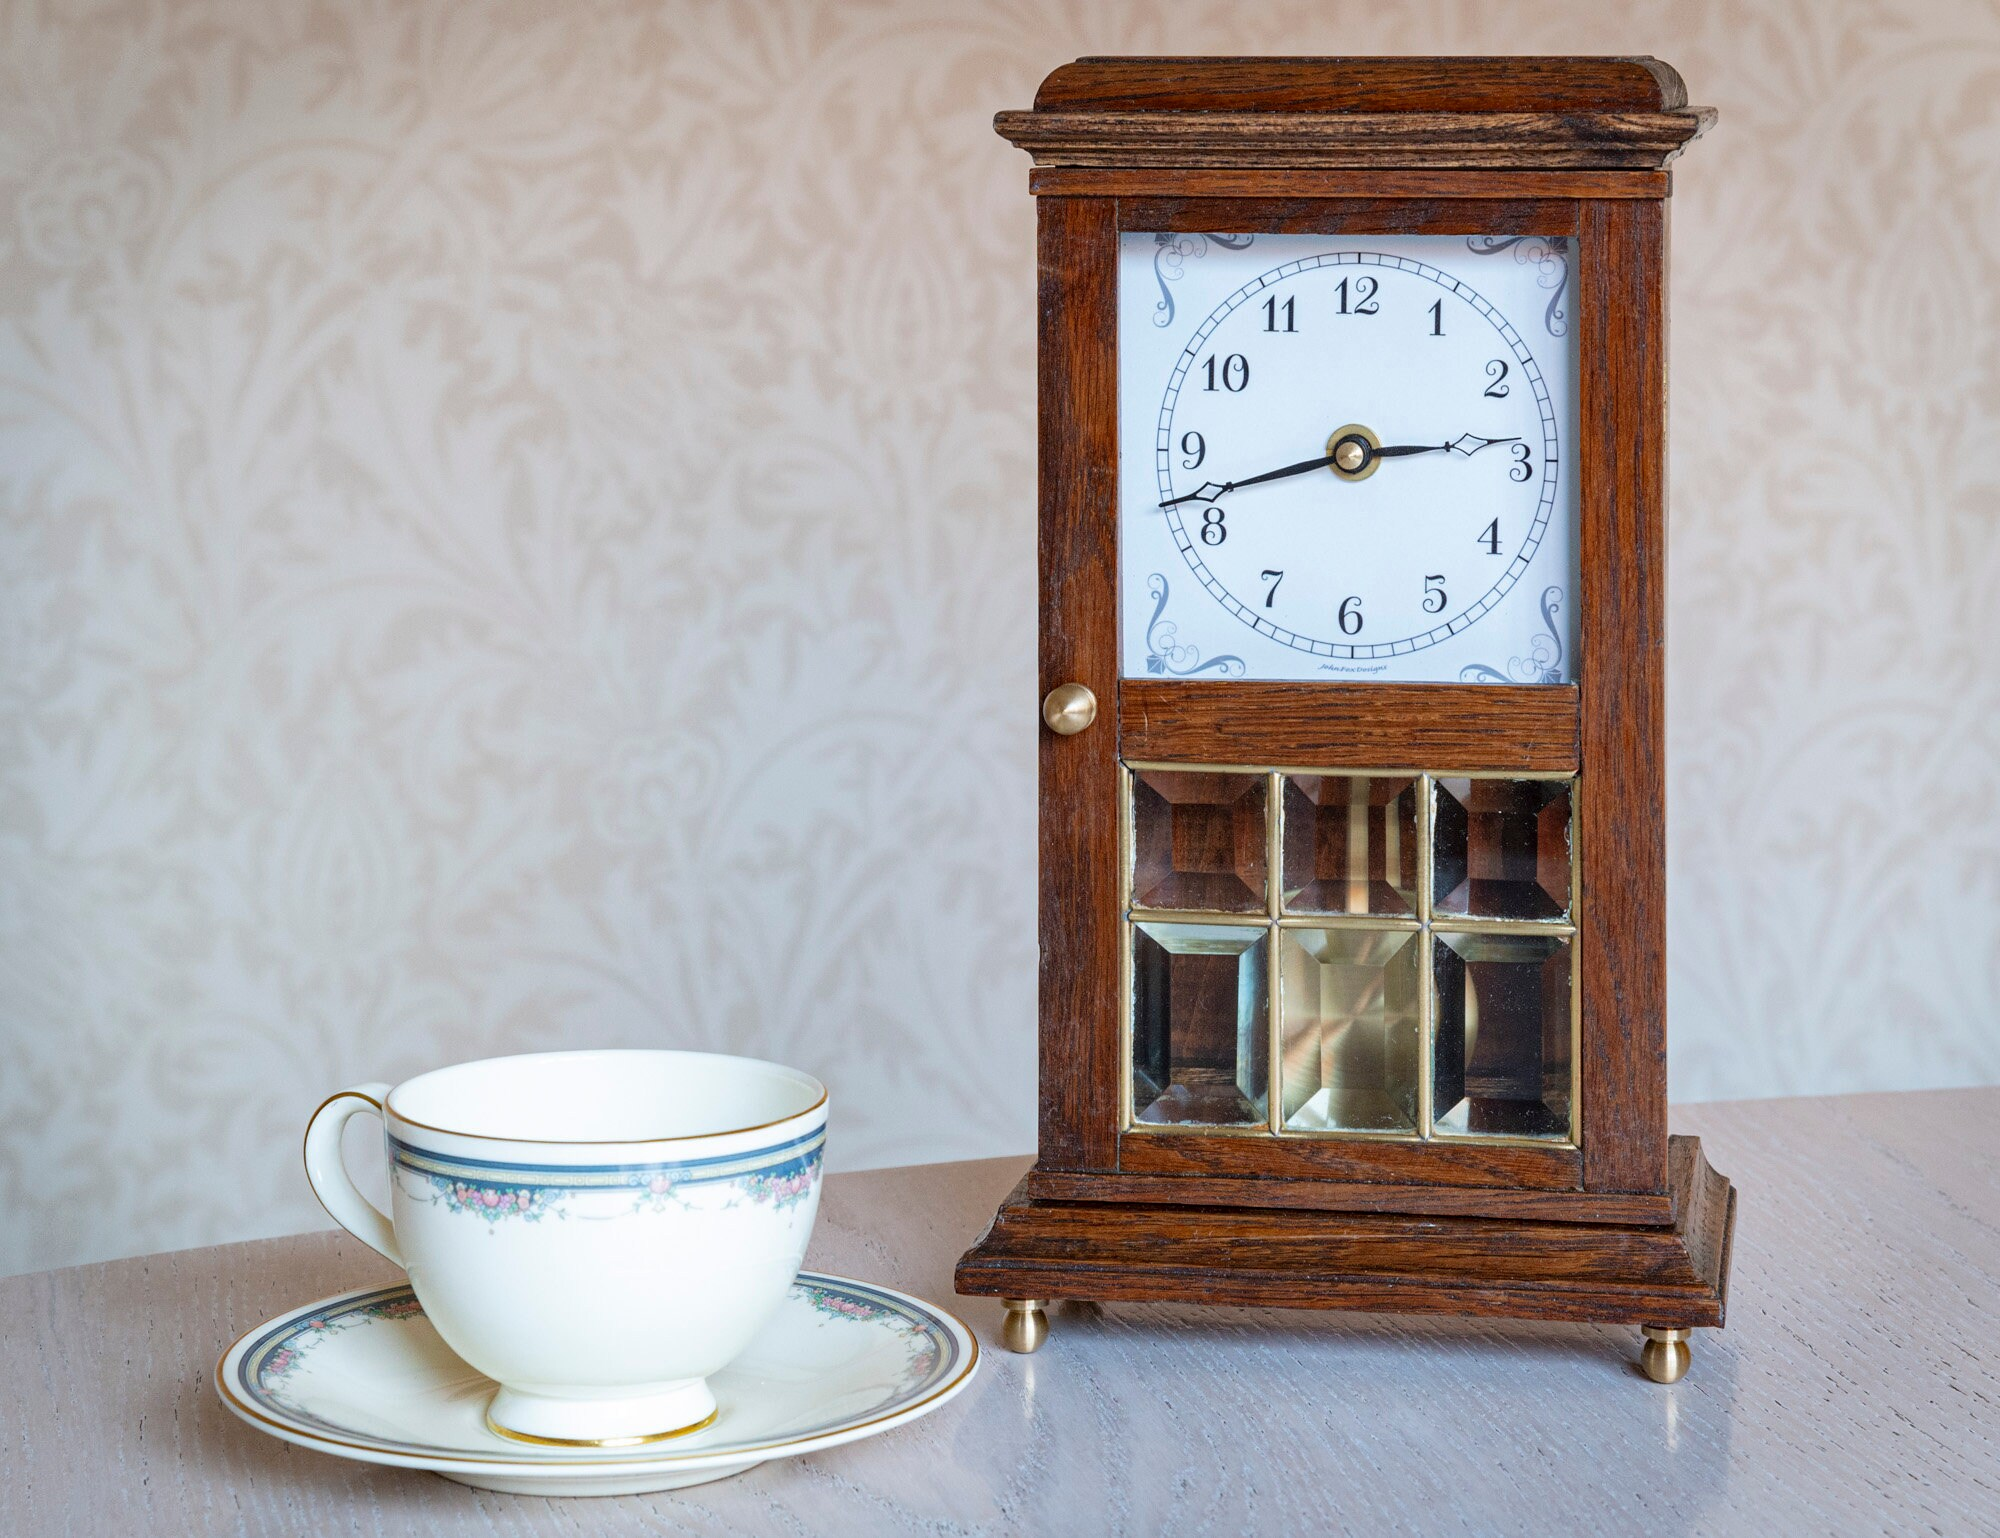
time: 2:42
